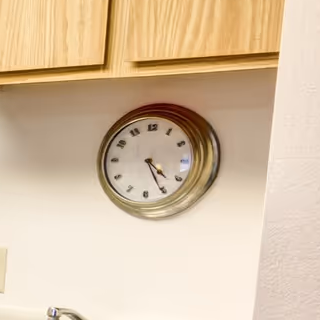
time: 4:25
